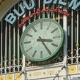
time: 3:24
